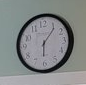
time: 6:06
